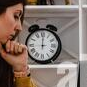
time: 12:00
